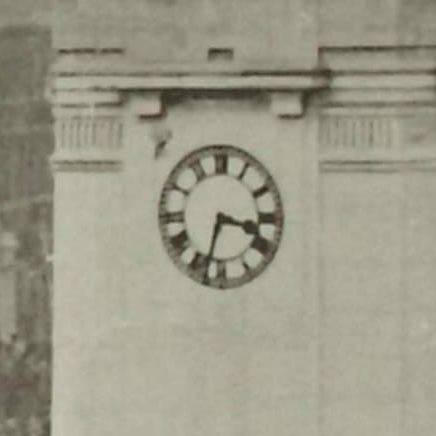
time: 3:32
